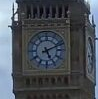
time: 5:11
